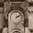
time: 2:09
